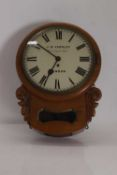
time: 6:50
